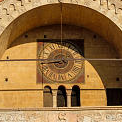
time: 8:43
